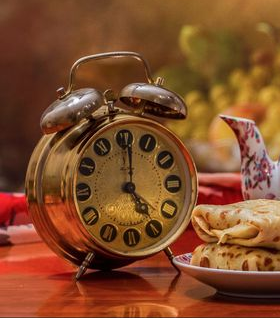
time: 5:00
